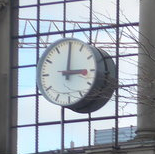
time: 3:00
